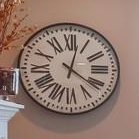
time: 4:02
